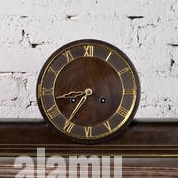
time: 8:35
